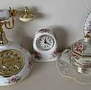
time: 12:19
